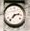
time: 2:36
